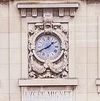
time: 1:40
